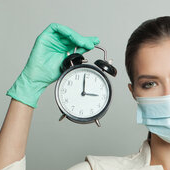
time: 2:59
